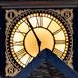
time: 5:55
